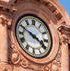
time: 3:49
